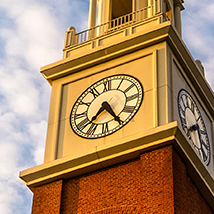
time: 7:24
